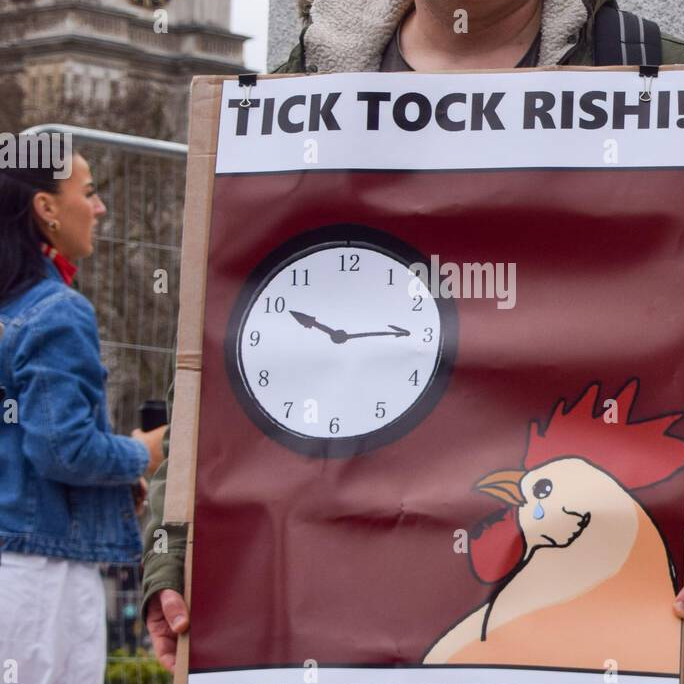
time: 10:14
